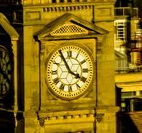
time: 3:55
